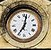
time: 7:02
